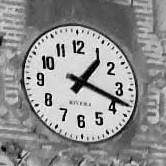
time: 1:18
